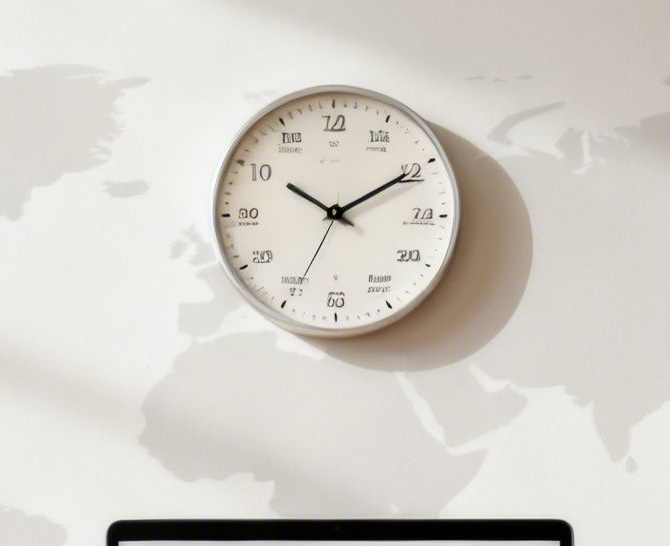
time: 10:10
